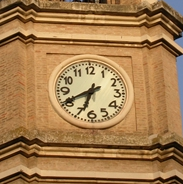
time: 6:40
